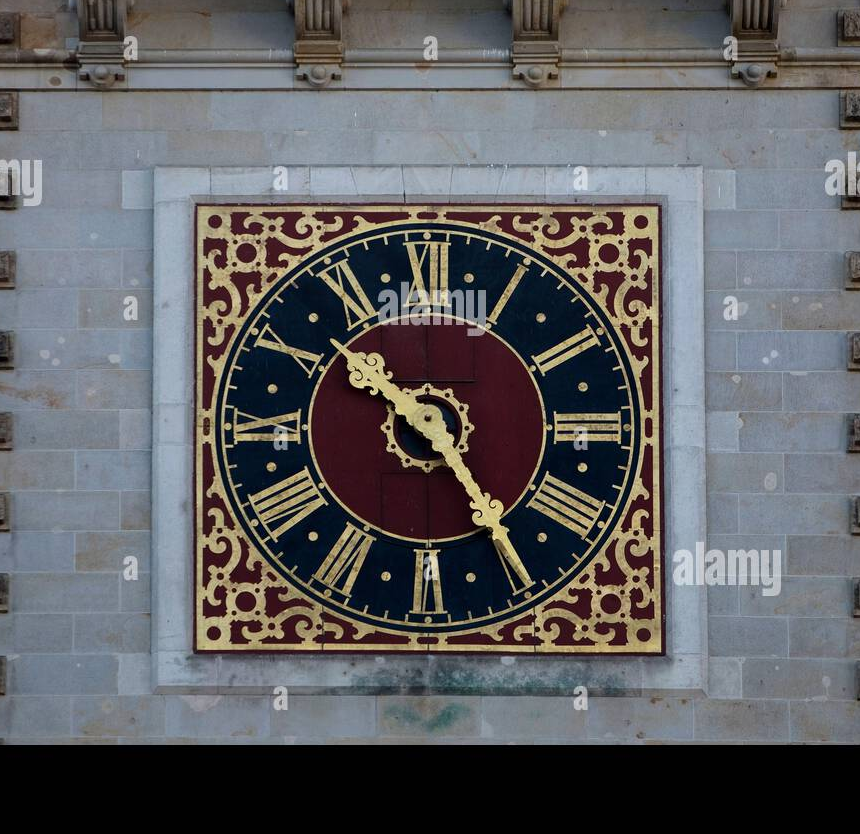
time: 10:24
